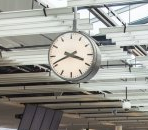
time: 3:41
